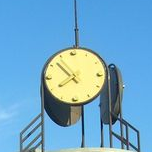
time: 7:52
